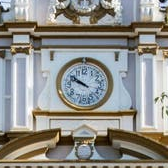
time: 9:51
